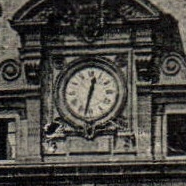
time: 12:32
